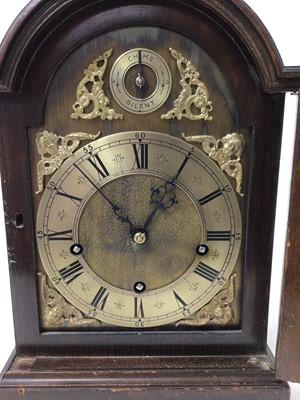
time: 12:52
